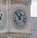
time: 12:53
